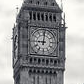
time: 9:01
